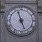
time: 11:26
